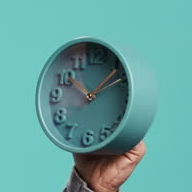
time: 10:07
